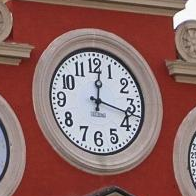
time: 12:17
